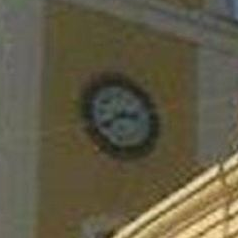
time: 2:40
